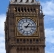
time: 1:15
